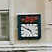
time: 4:49
